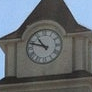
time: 10:47
